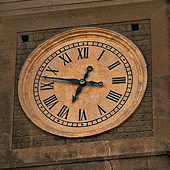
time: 6:47
